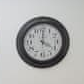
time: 4:00
